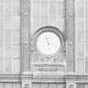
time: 11:17
